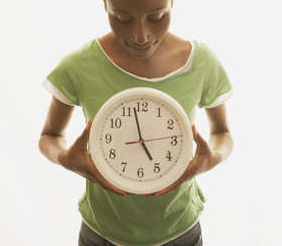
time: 4:57
